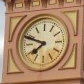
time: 7:48
